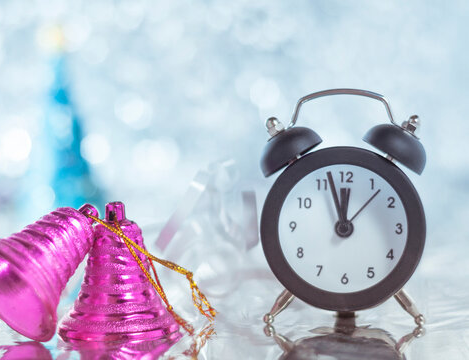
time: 11:57
